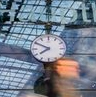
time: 7:49
